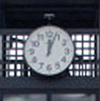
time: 12:03
